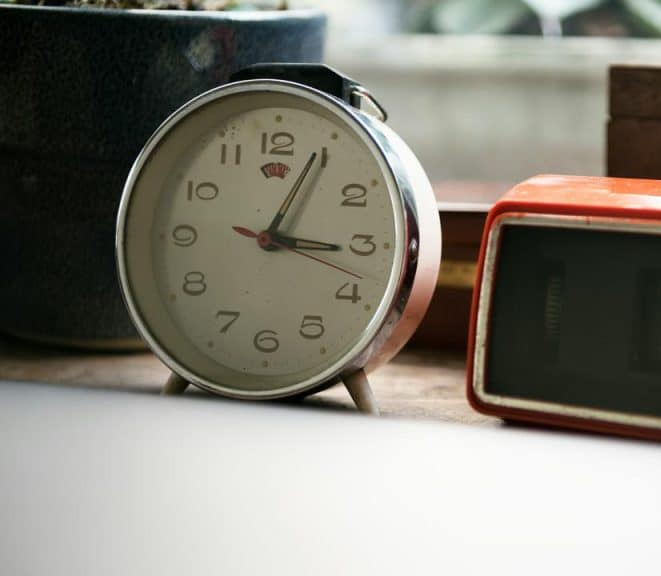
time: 3:04
